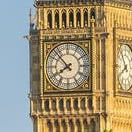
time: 7:52
